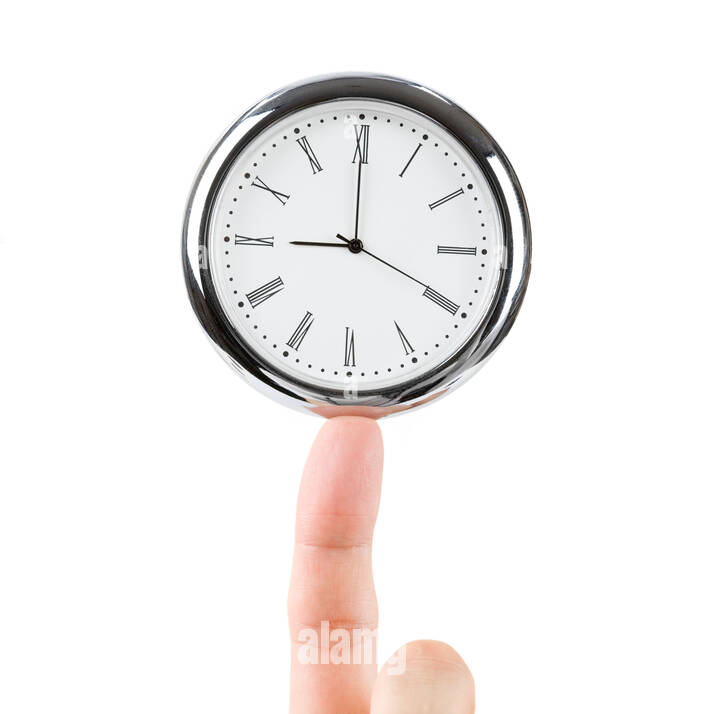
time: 9:00
